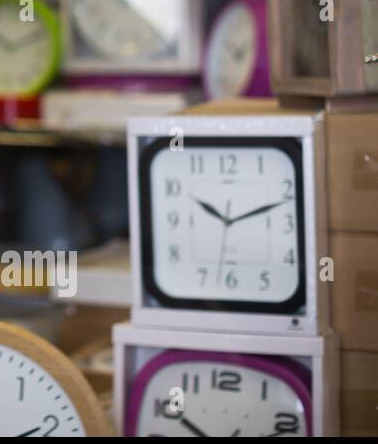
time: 10:11
